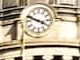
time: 3:48
